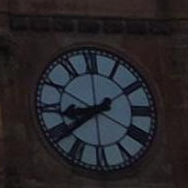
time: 8:38
